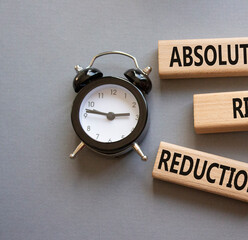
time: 2:46
